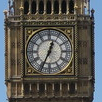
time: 12:34
